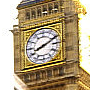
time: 8:11
